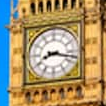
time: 8:17
